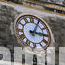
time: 3:04
